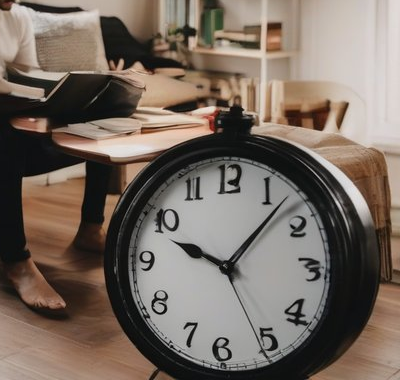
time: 10:07
